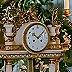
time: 10:07
